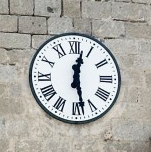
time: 12:28
